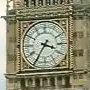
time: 3:35
